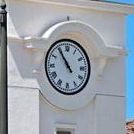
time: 10:54
